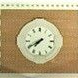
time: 7:40
